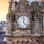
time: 12:23
